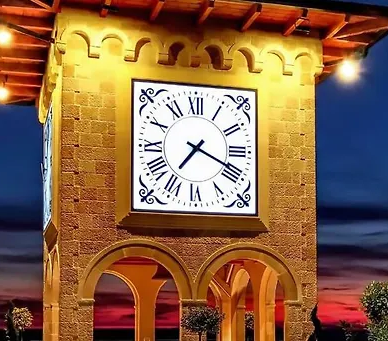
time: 7:18
